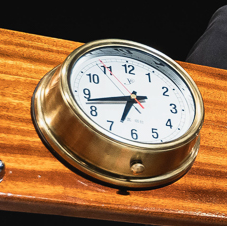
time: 6:42
